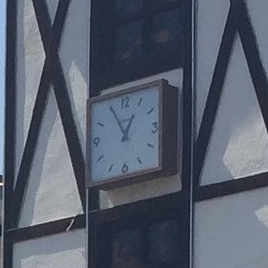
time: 12:55
